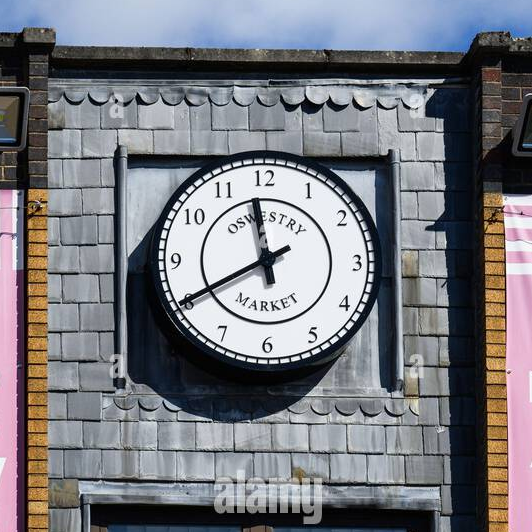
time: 11:40
